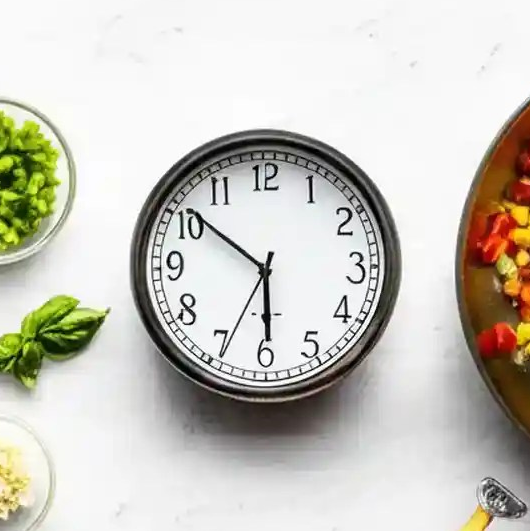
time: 5:51
